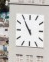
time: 10:54
